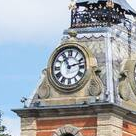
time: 11:12
